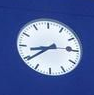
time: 8:39
